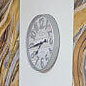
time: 7:43
